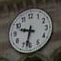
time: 9:32
